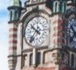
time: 9:36
